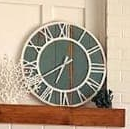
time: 6:39
